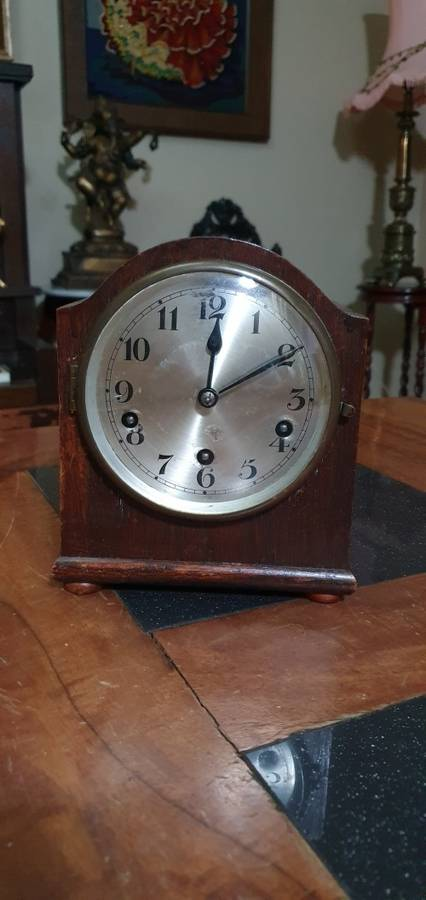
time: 12:10
